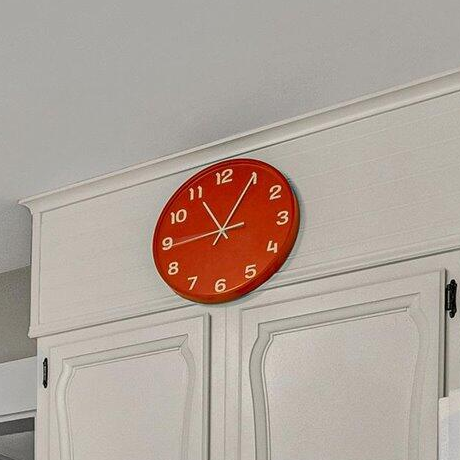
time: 11:04
